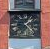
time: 1:23
